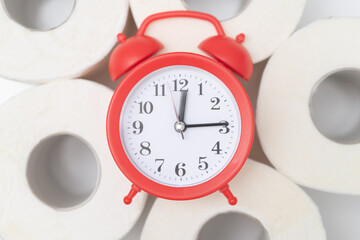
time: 12:14
